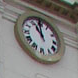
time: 10:59
